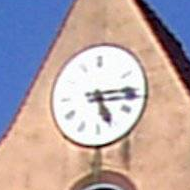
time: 5:14
